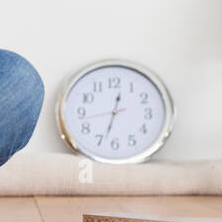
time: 12:33
